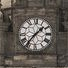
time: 1:36
